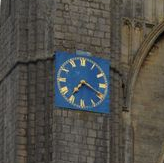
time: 7:19
